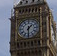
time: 1:30
